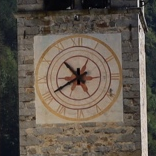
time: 10:40
